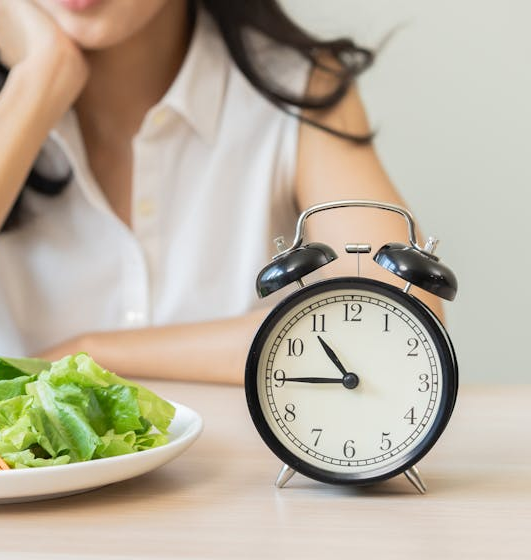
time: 10:45
